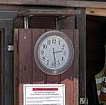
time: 2:28
